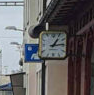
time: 1:13
